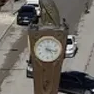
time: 4:17
